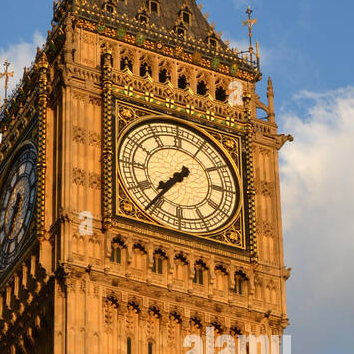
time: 7:36
